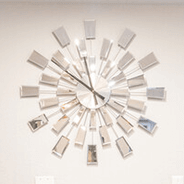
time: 11:51
